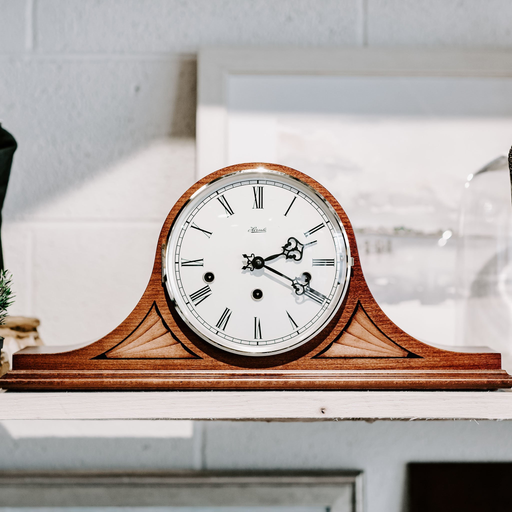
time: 2:18
